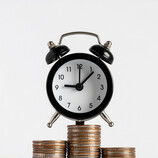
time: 9:07
